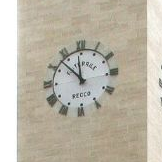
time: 11:52
